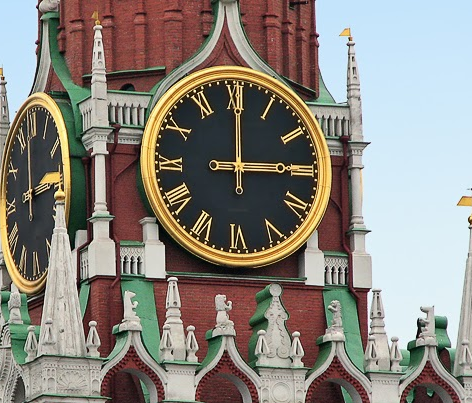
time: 3:00
